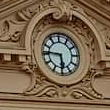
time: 5:45
